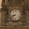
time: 8:40
